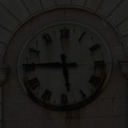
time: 5:45
